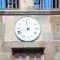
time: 11:42
